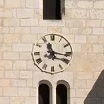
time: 11:16
